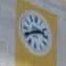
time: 2:40
